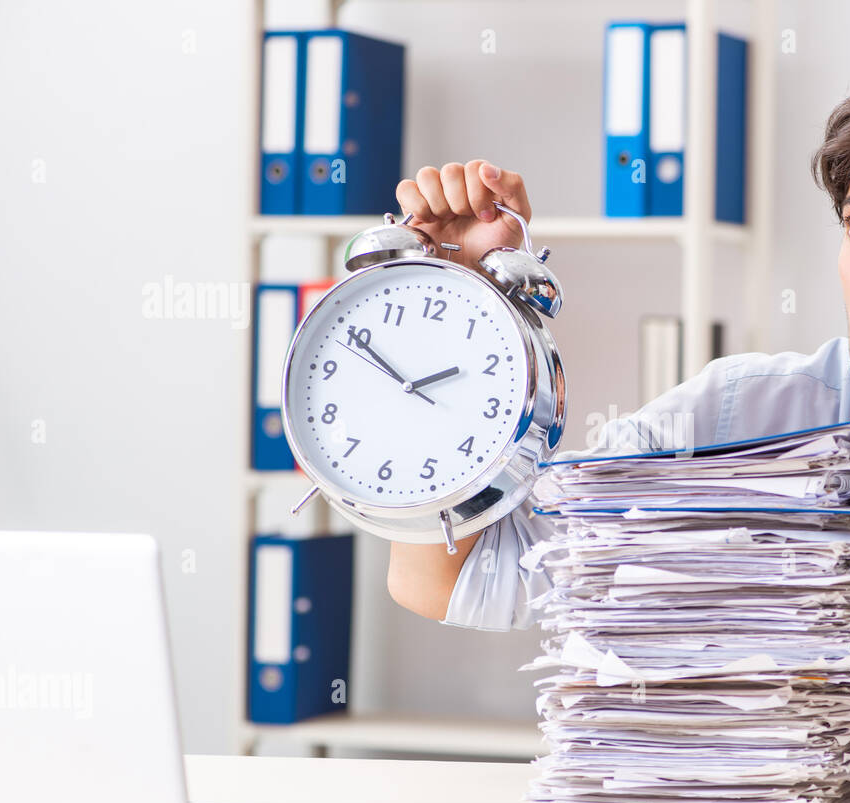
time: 1:49
